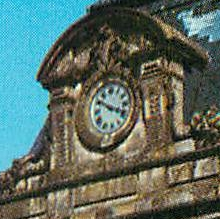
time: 3:50
